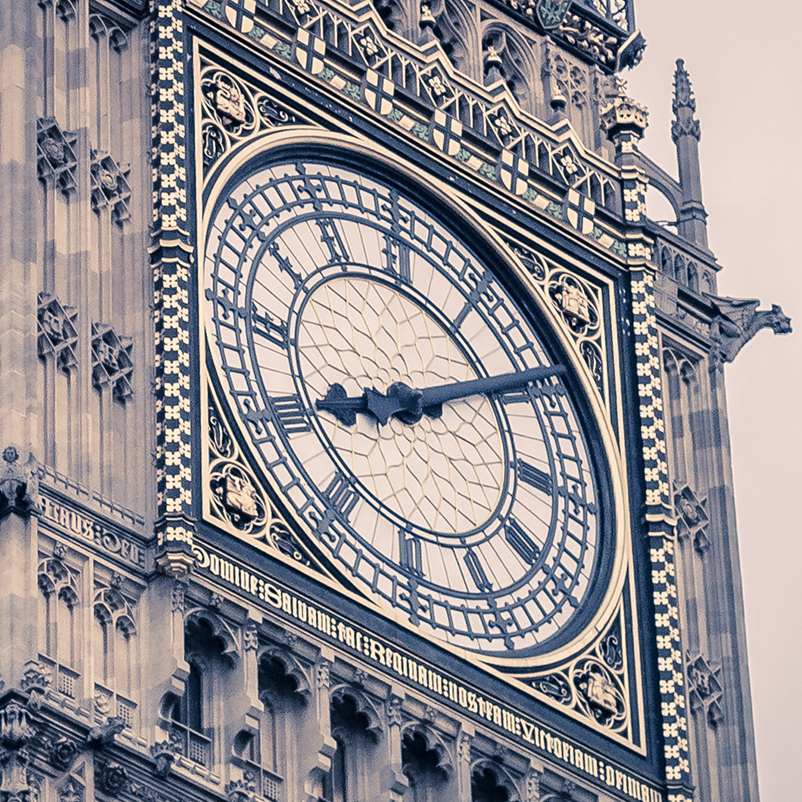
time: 8:09
